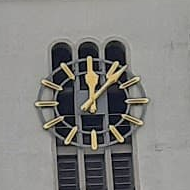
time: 12:07
